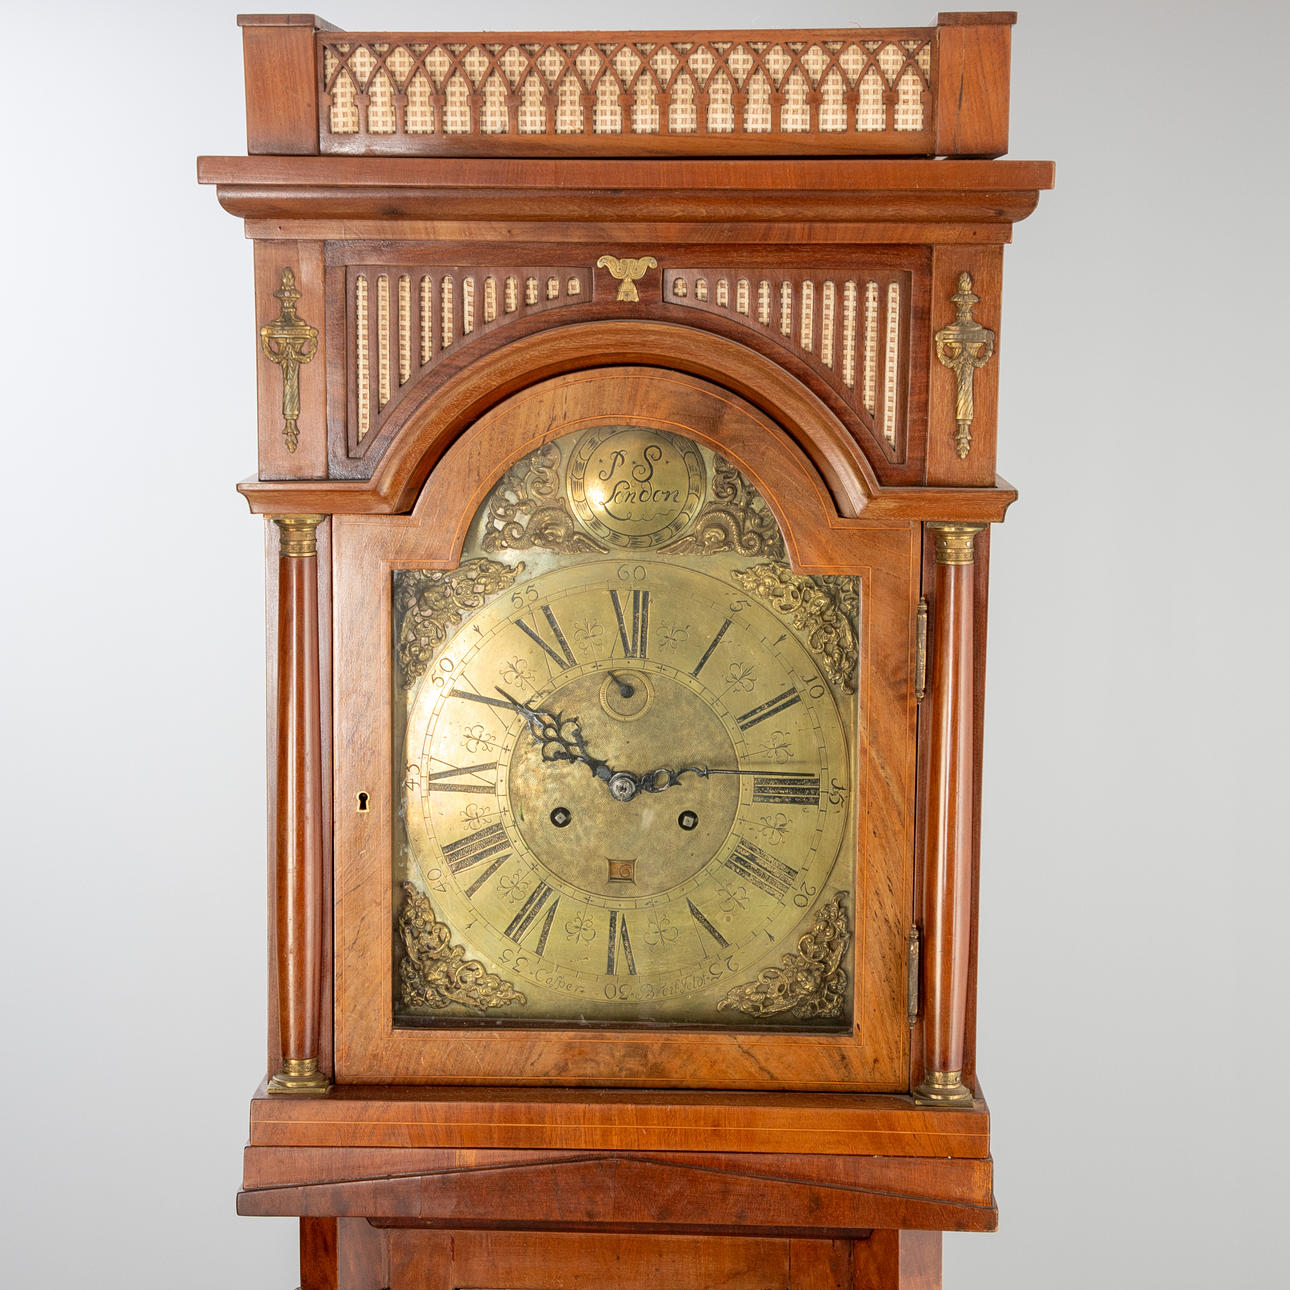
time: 2:48
